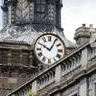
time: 10:05
